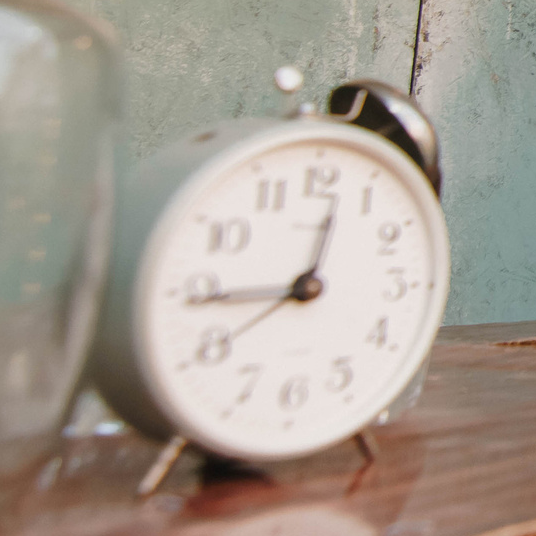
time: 12:44
